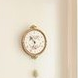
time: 10:33
